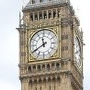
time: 11:40
